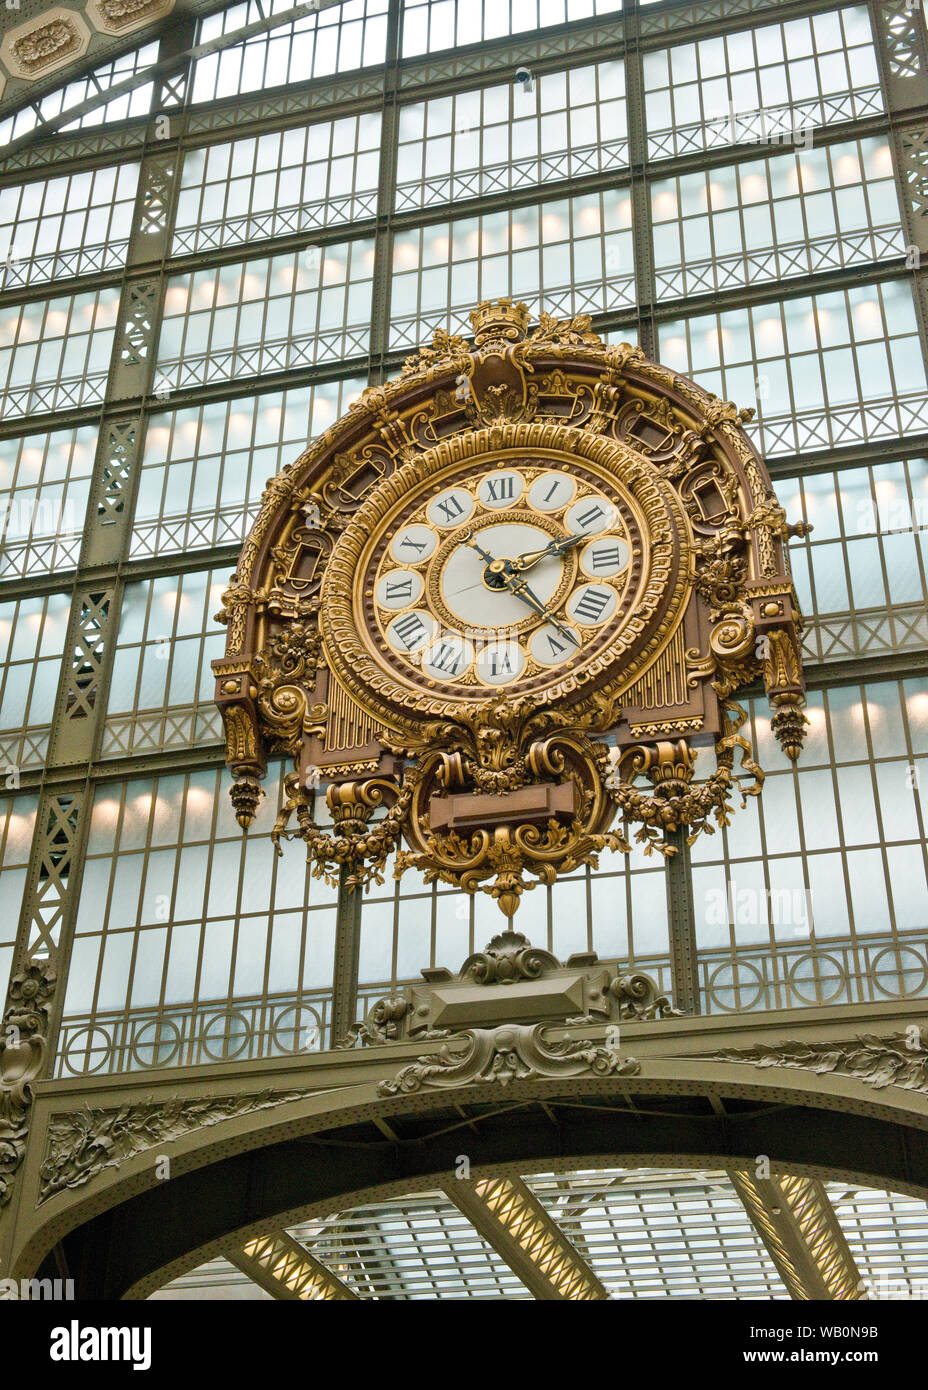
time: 2:21
